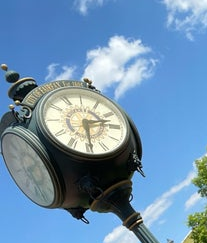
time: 2:29
